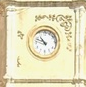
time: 10:48
